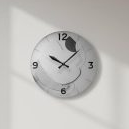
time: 10:07
